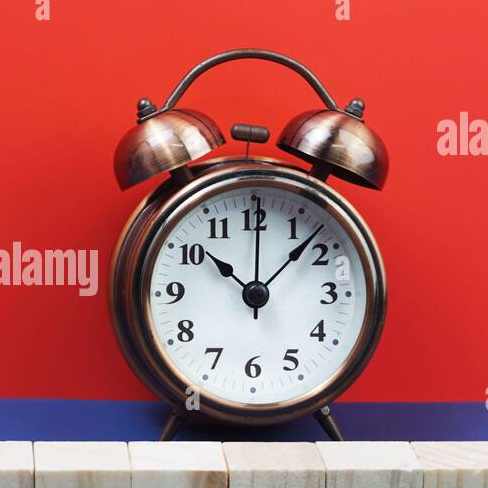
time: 10:07
